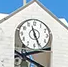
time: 11:26
